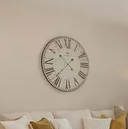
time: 1:36
